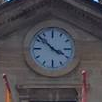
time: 3:52
